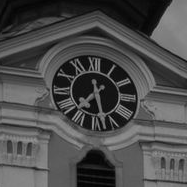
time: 7:28
